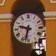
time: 9:33
